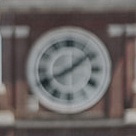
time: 8:08
